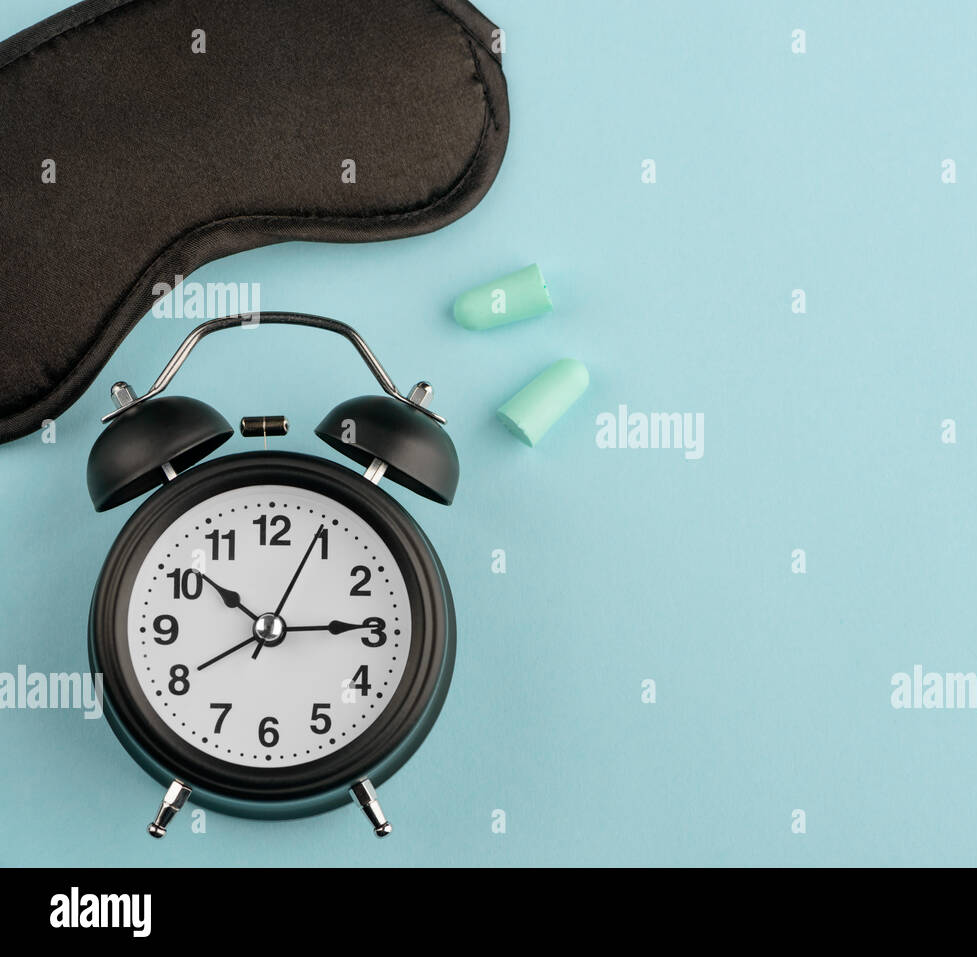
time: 10:14
